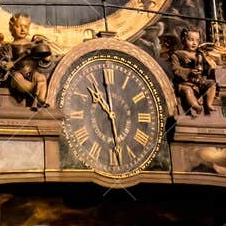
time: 10:28
